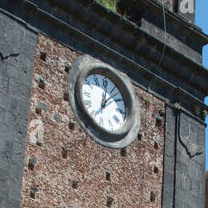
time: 12:07
